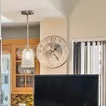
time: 1:23
